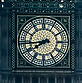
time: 7:43
